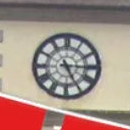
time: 5:14
